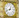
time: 12:41
